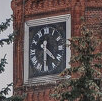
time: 4:31
